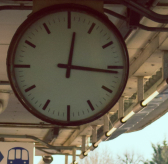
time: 12:16
